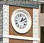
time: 1:10
